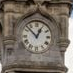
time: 12:52
